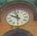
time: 9:57
